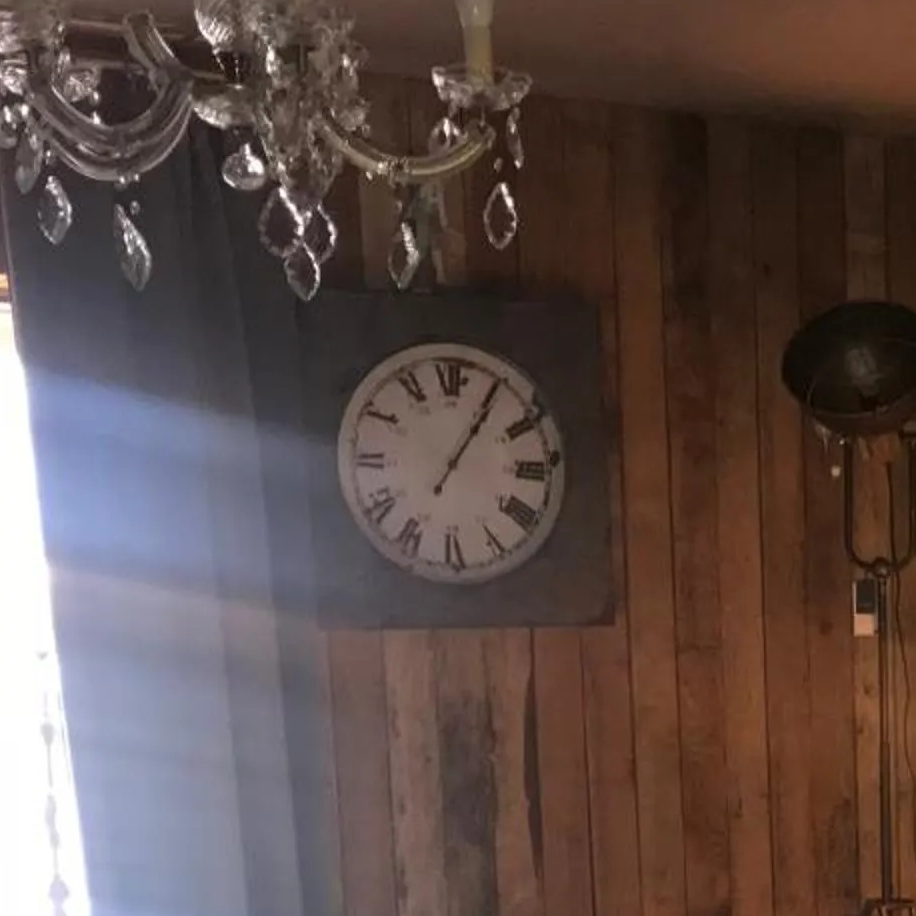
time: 1:05
